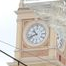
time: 10:41
